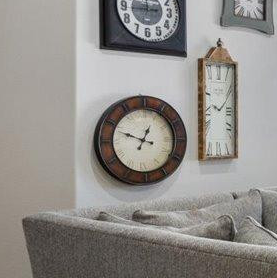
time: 12:48
